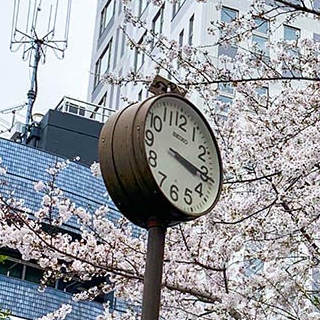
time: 3:16
